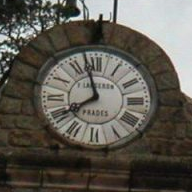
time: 7:57
